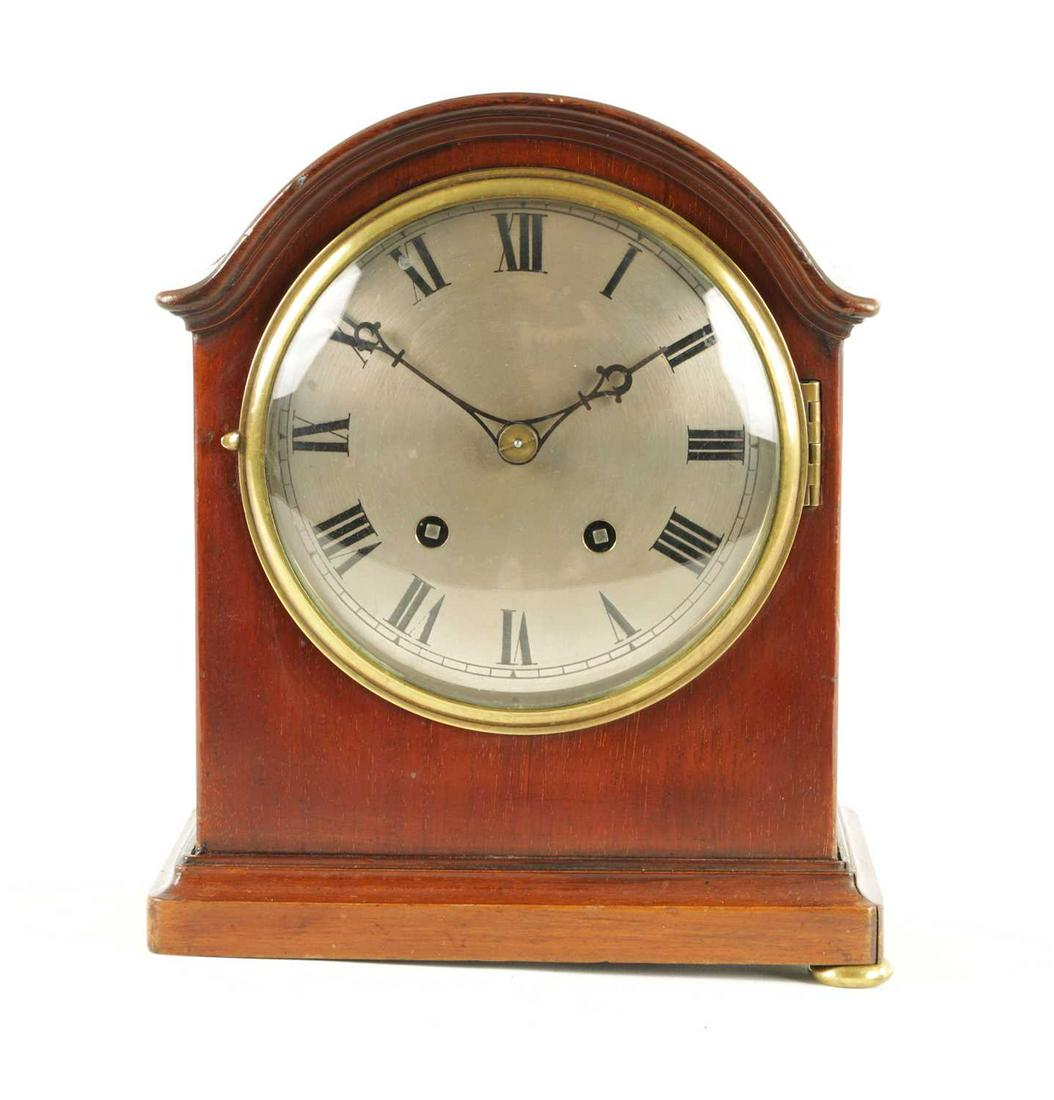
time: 1:50
